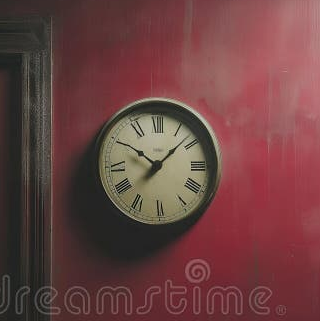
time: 10:07
